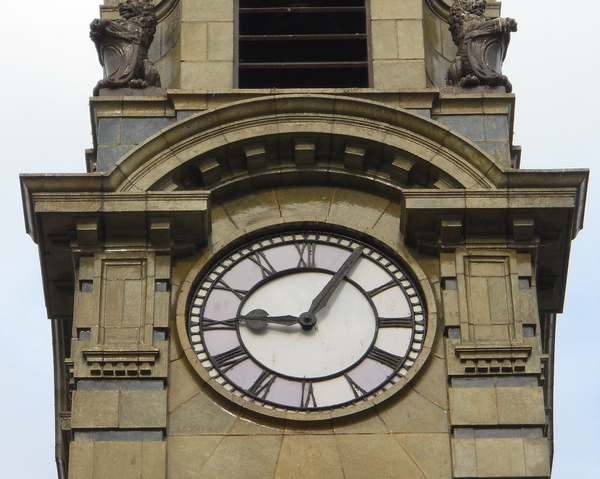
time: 9:05
